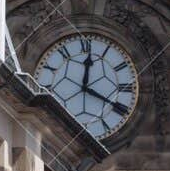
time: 12:19
